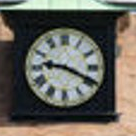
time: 9:19
